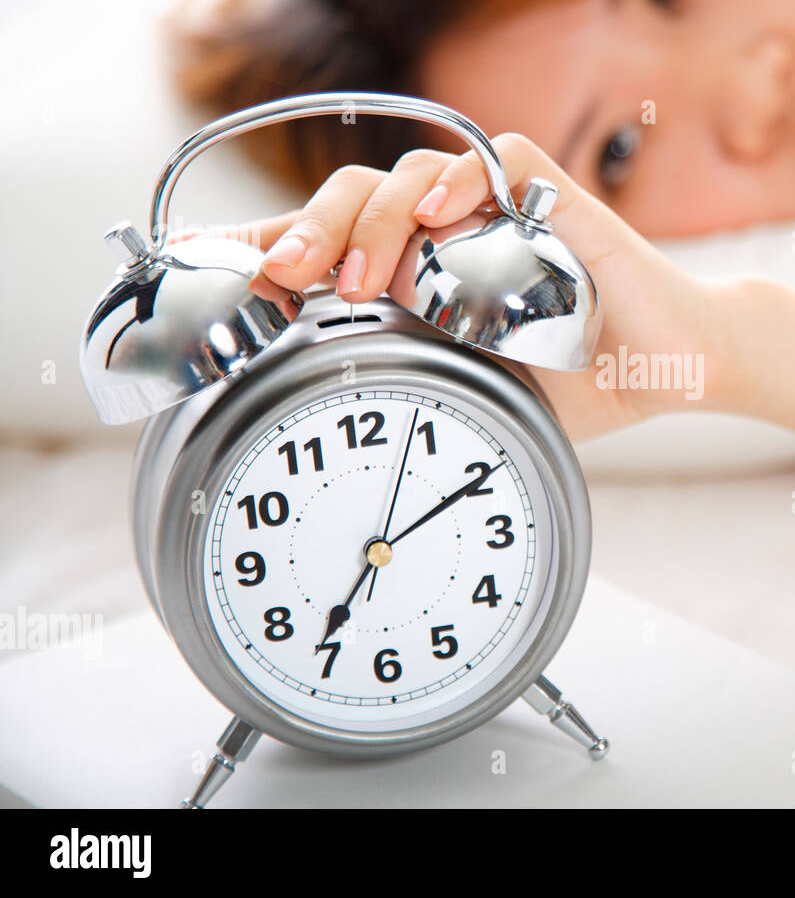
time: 7:10
